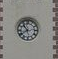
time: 10:39
